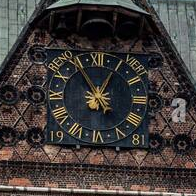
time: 12:55
